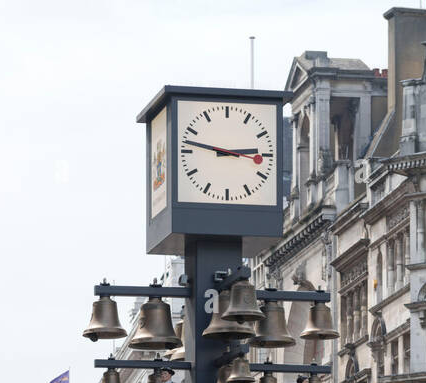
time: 2:47
